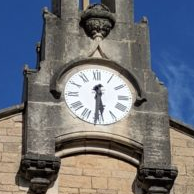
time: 5:30
